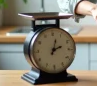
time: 2:02
